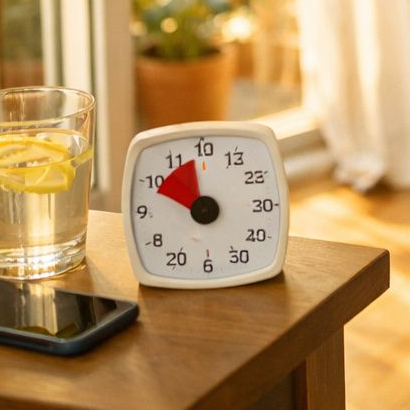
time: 11:49
